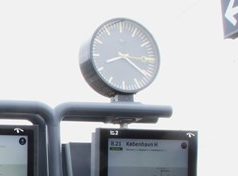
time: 8:20
